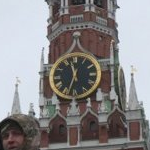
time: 11:33
